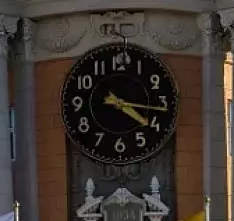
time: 4:16
